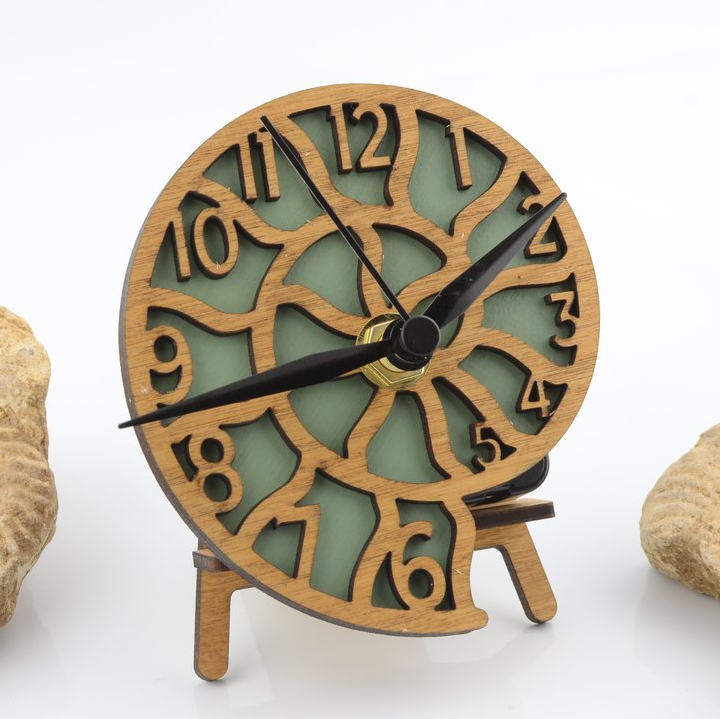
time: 1:42
